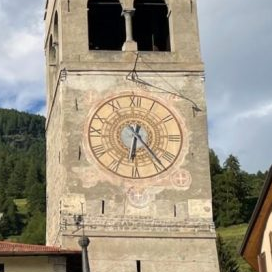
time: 6:23
